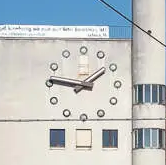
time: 1:46
